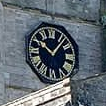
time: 10:06
